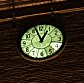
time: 12:56
